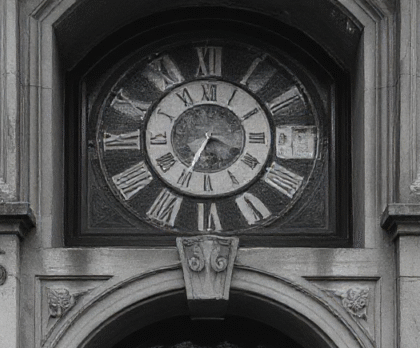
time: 3:34
